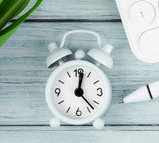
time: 12:22
